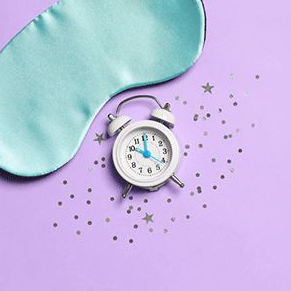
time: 10:00
